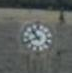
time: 10:41
